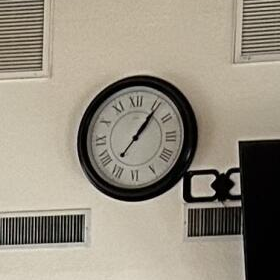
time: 1:06
